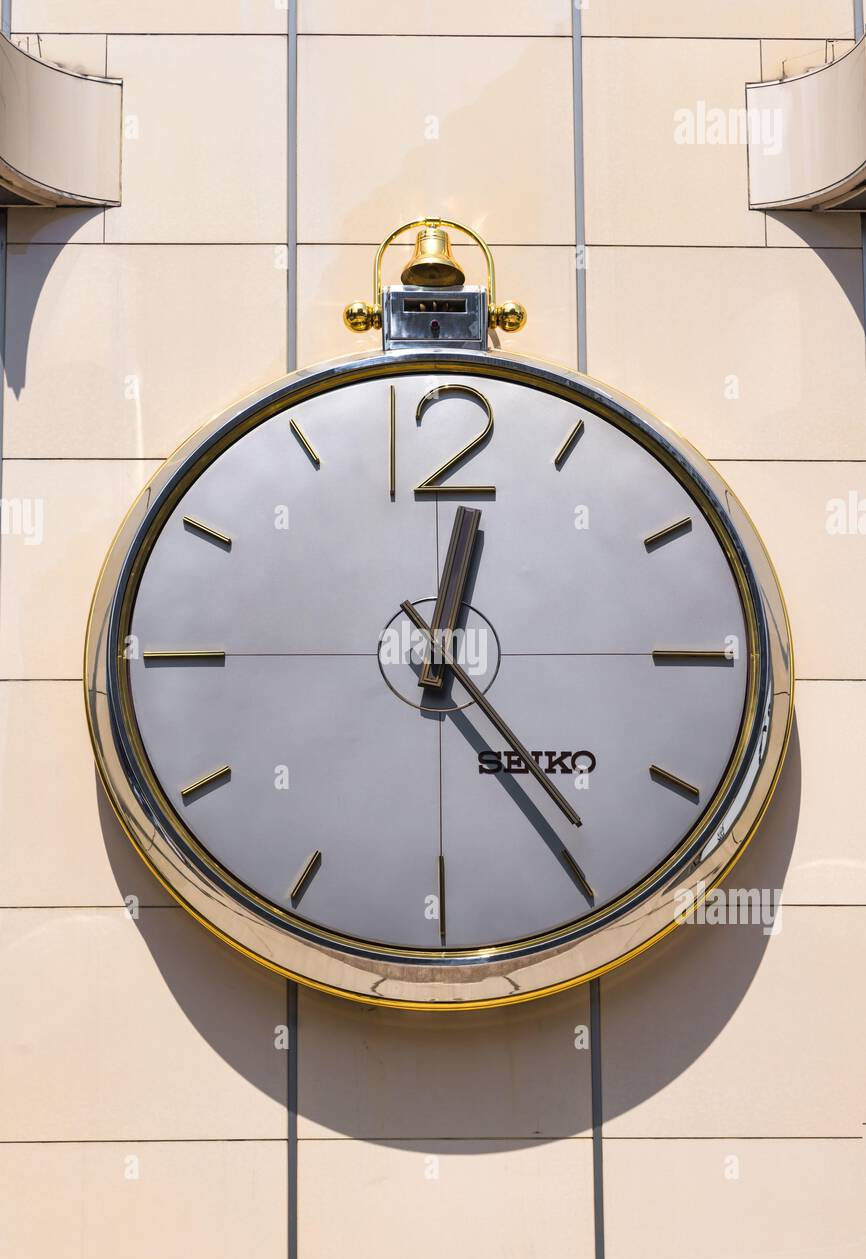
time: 12:24
